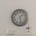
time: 1:28
